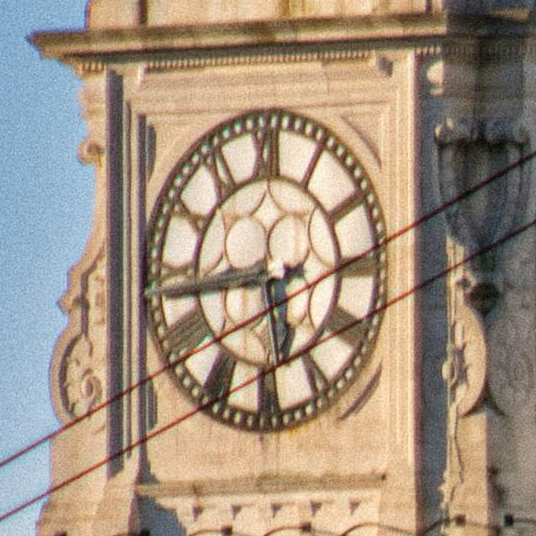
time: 5:44
